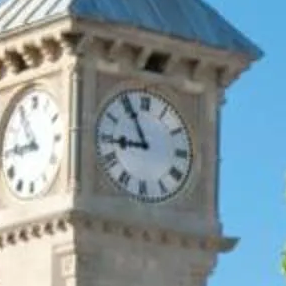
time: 8:55
